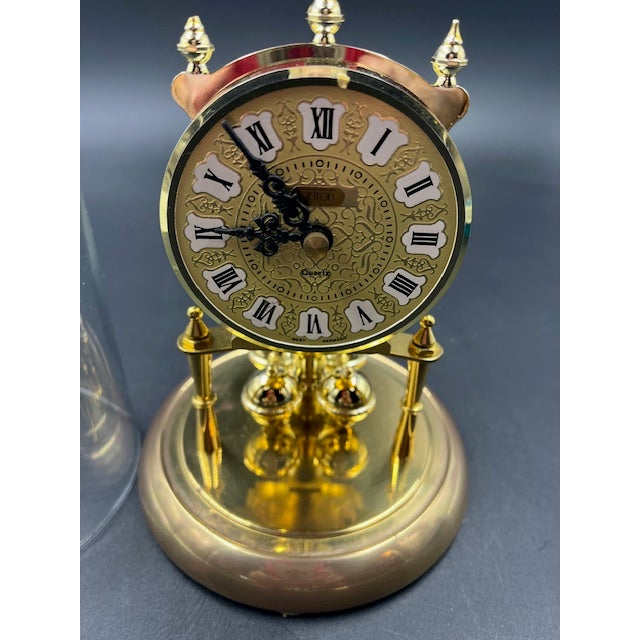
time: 8:53
